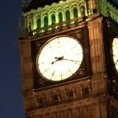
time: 8:18
